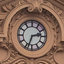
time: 2:33
